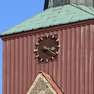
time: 3:20
